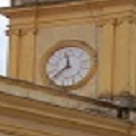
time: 11:37
